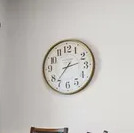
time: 2:36
